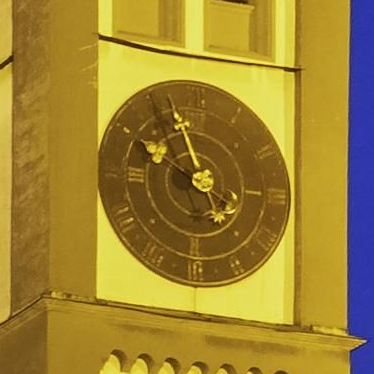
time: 9:56
